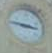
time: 2:46
